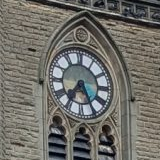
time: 7:25
